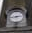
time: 2:43
